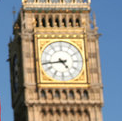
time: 4:43
